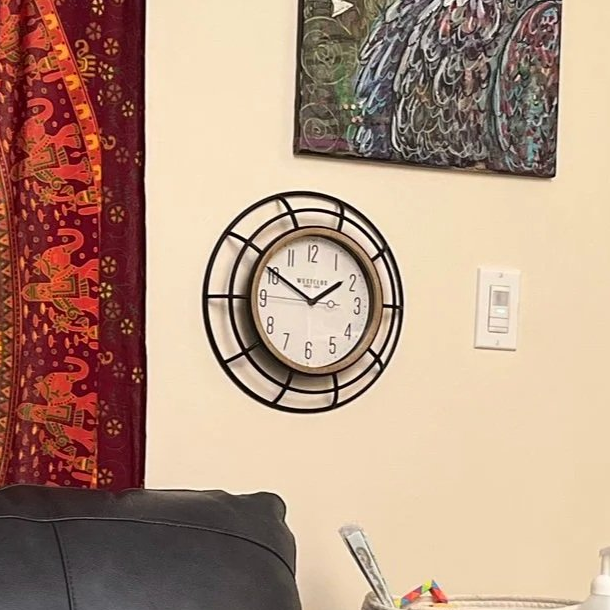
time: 1:50
